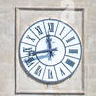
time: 11:42
